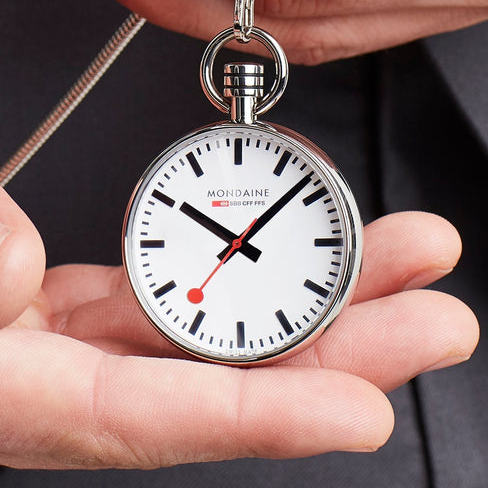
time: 10:07
